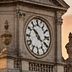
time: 10:20
